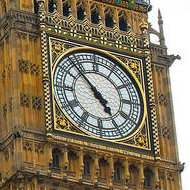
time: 4:52
